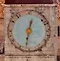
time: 12:32
